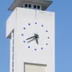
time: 5:40
